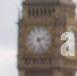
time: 2:26
